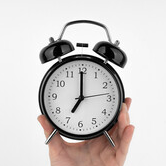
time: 7:00
